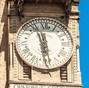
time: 11:28
